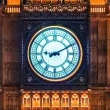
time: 9:10
